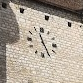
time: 11:25
